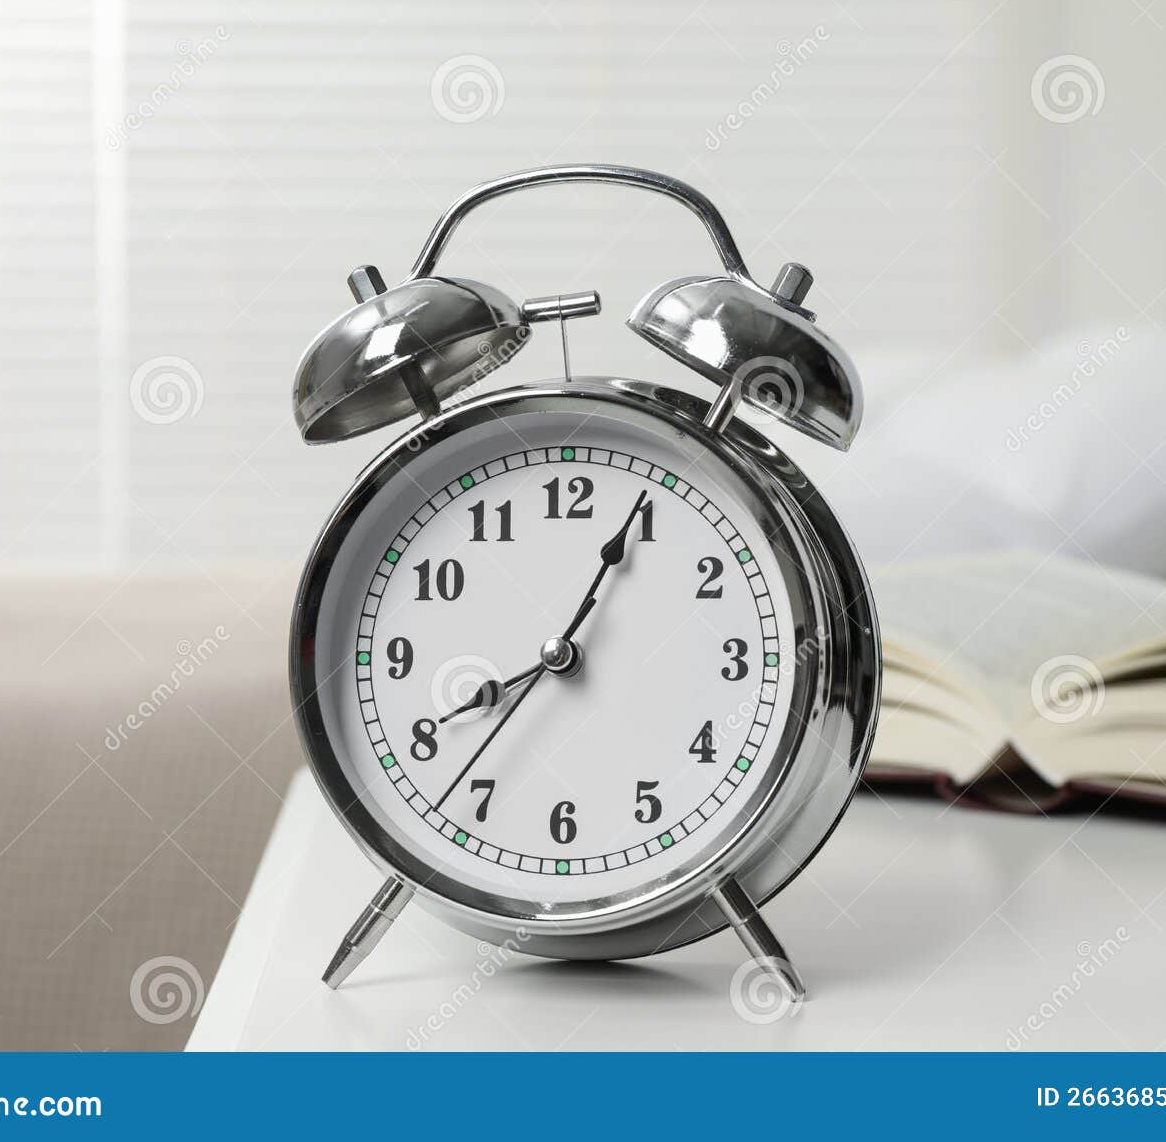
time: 8:04
